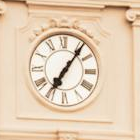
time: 7:06
